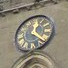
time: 12:20
